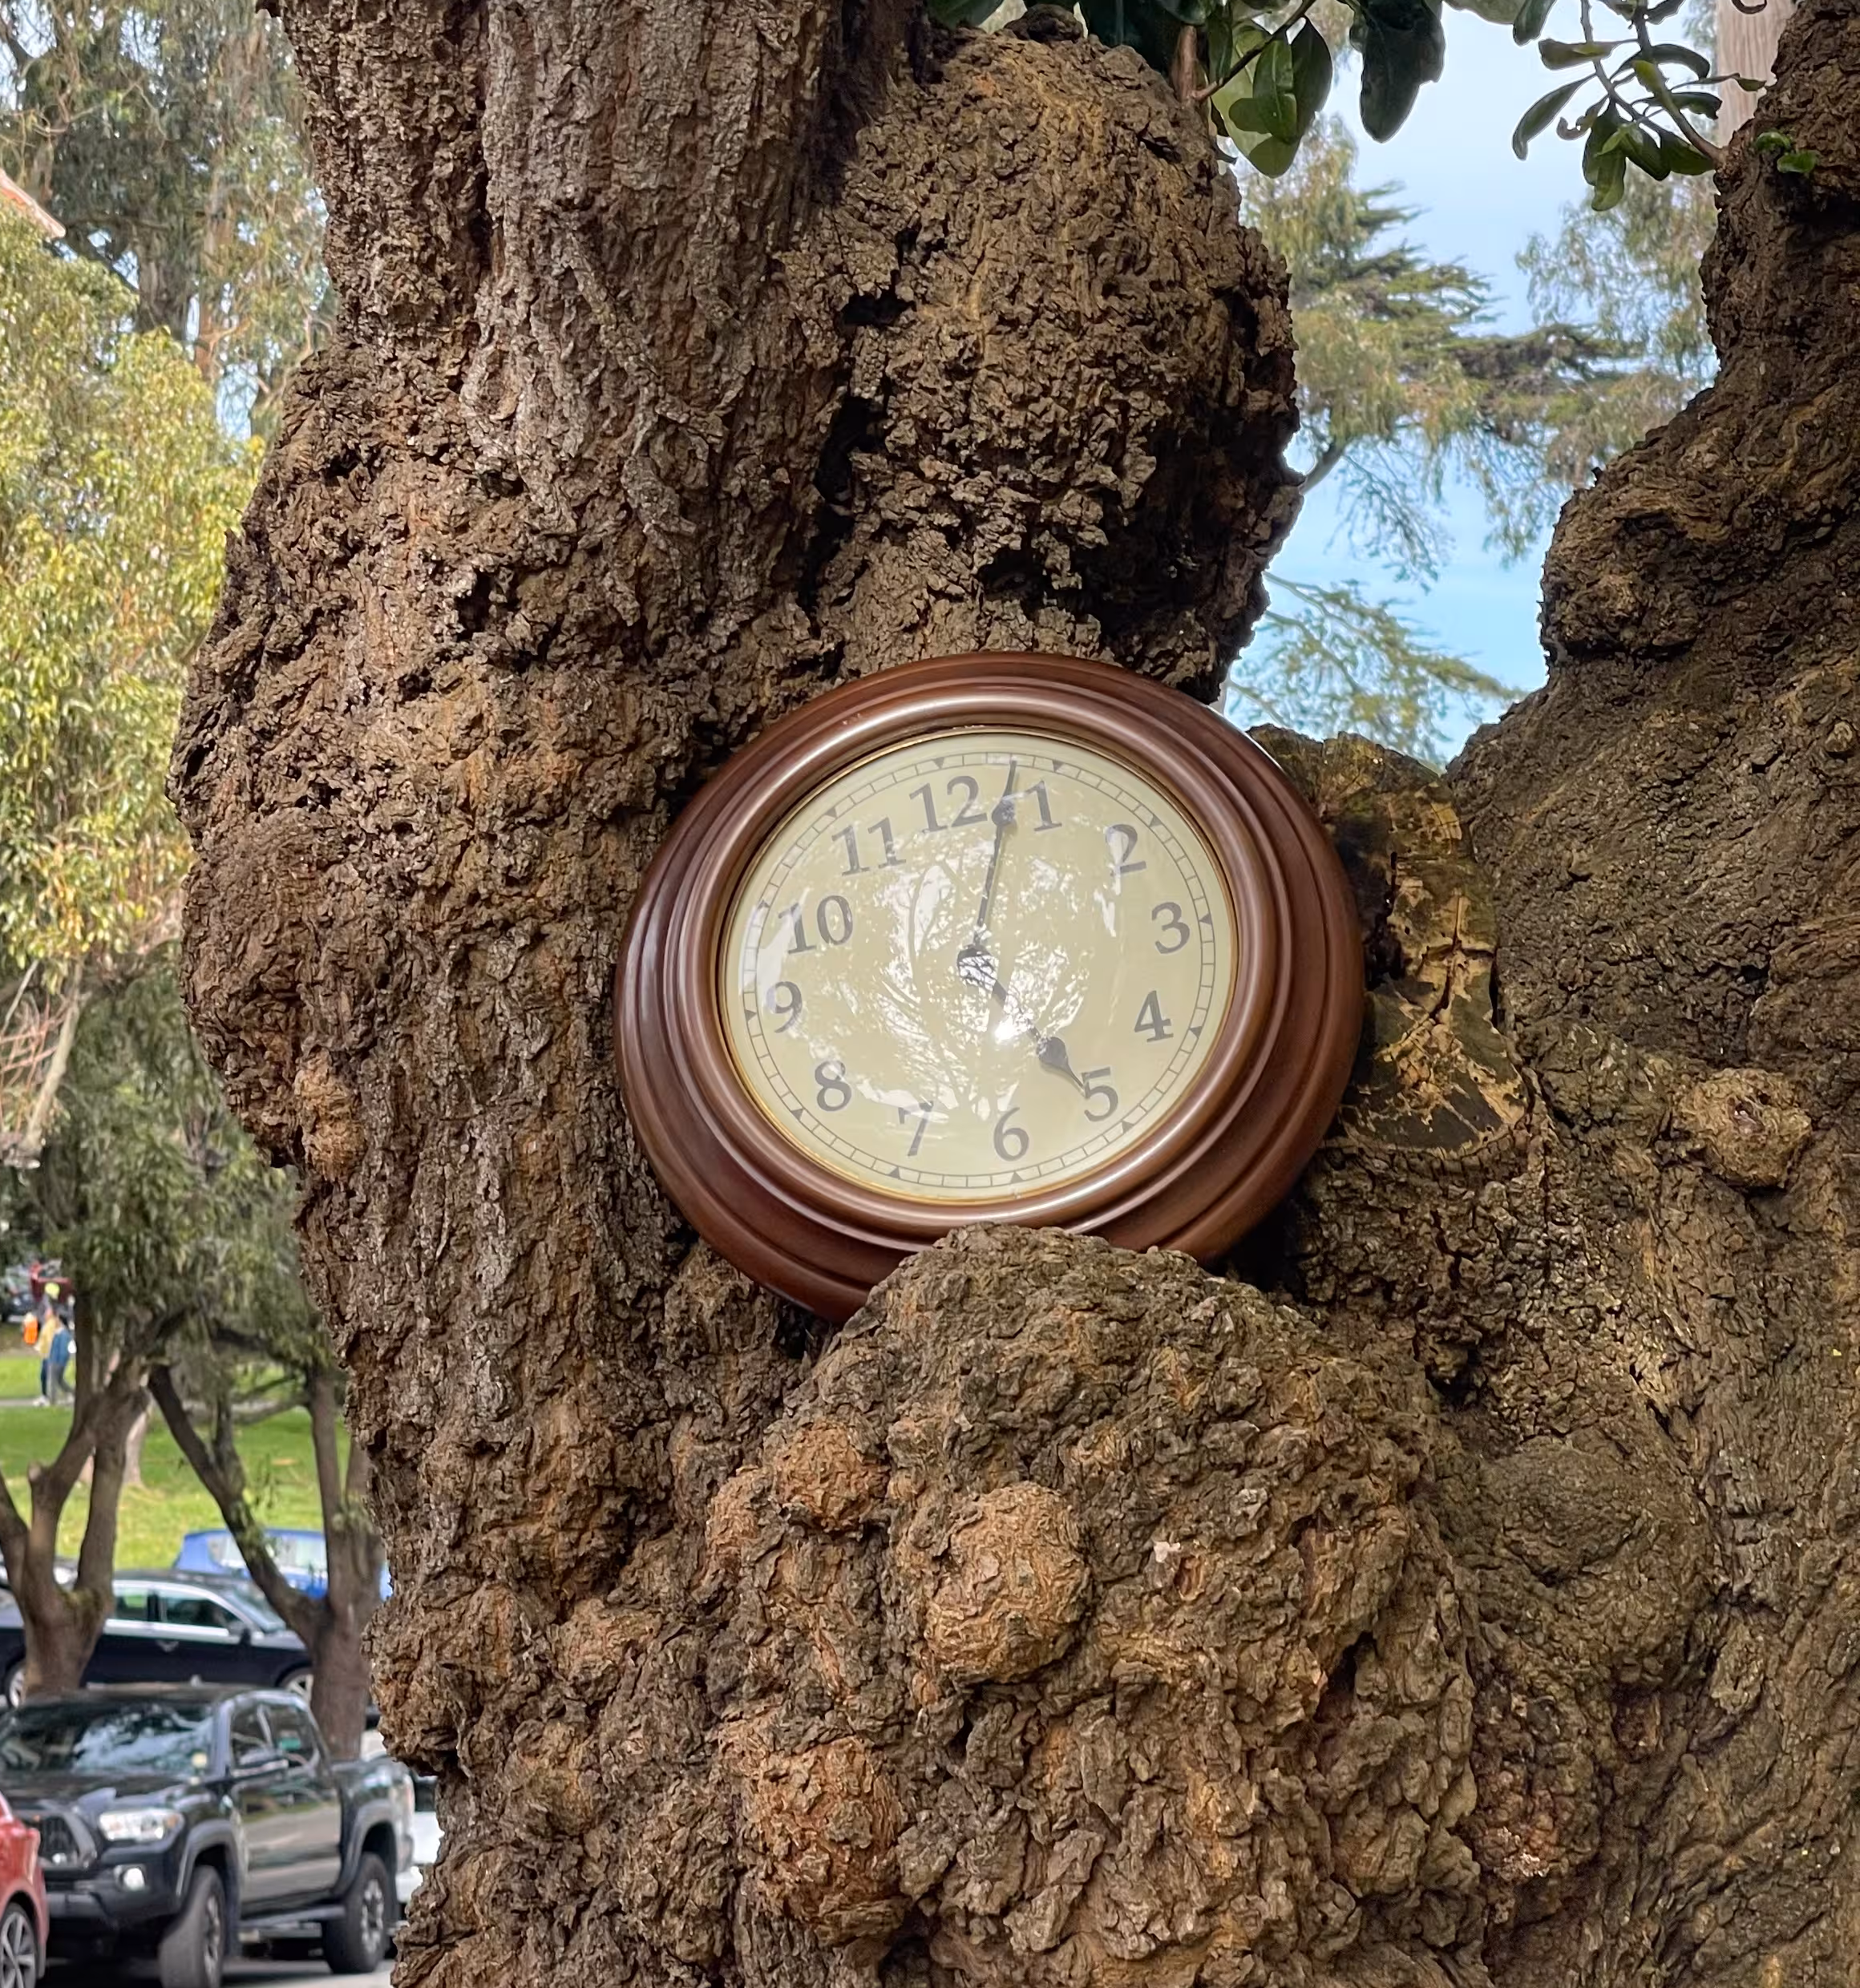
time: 5:03
